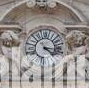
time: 4:16
